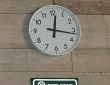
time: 12:16
